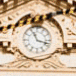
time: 11:17
